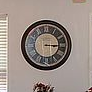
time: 3:15
